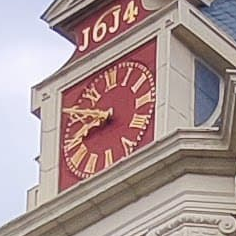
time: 8:50
